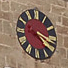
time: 4:17
